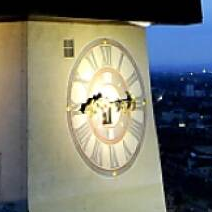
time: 8:14
